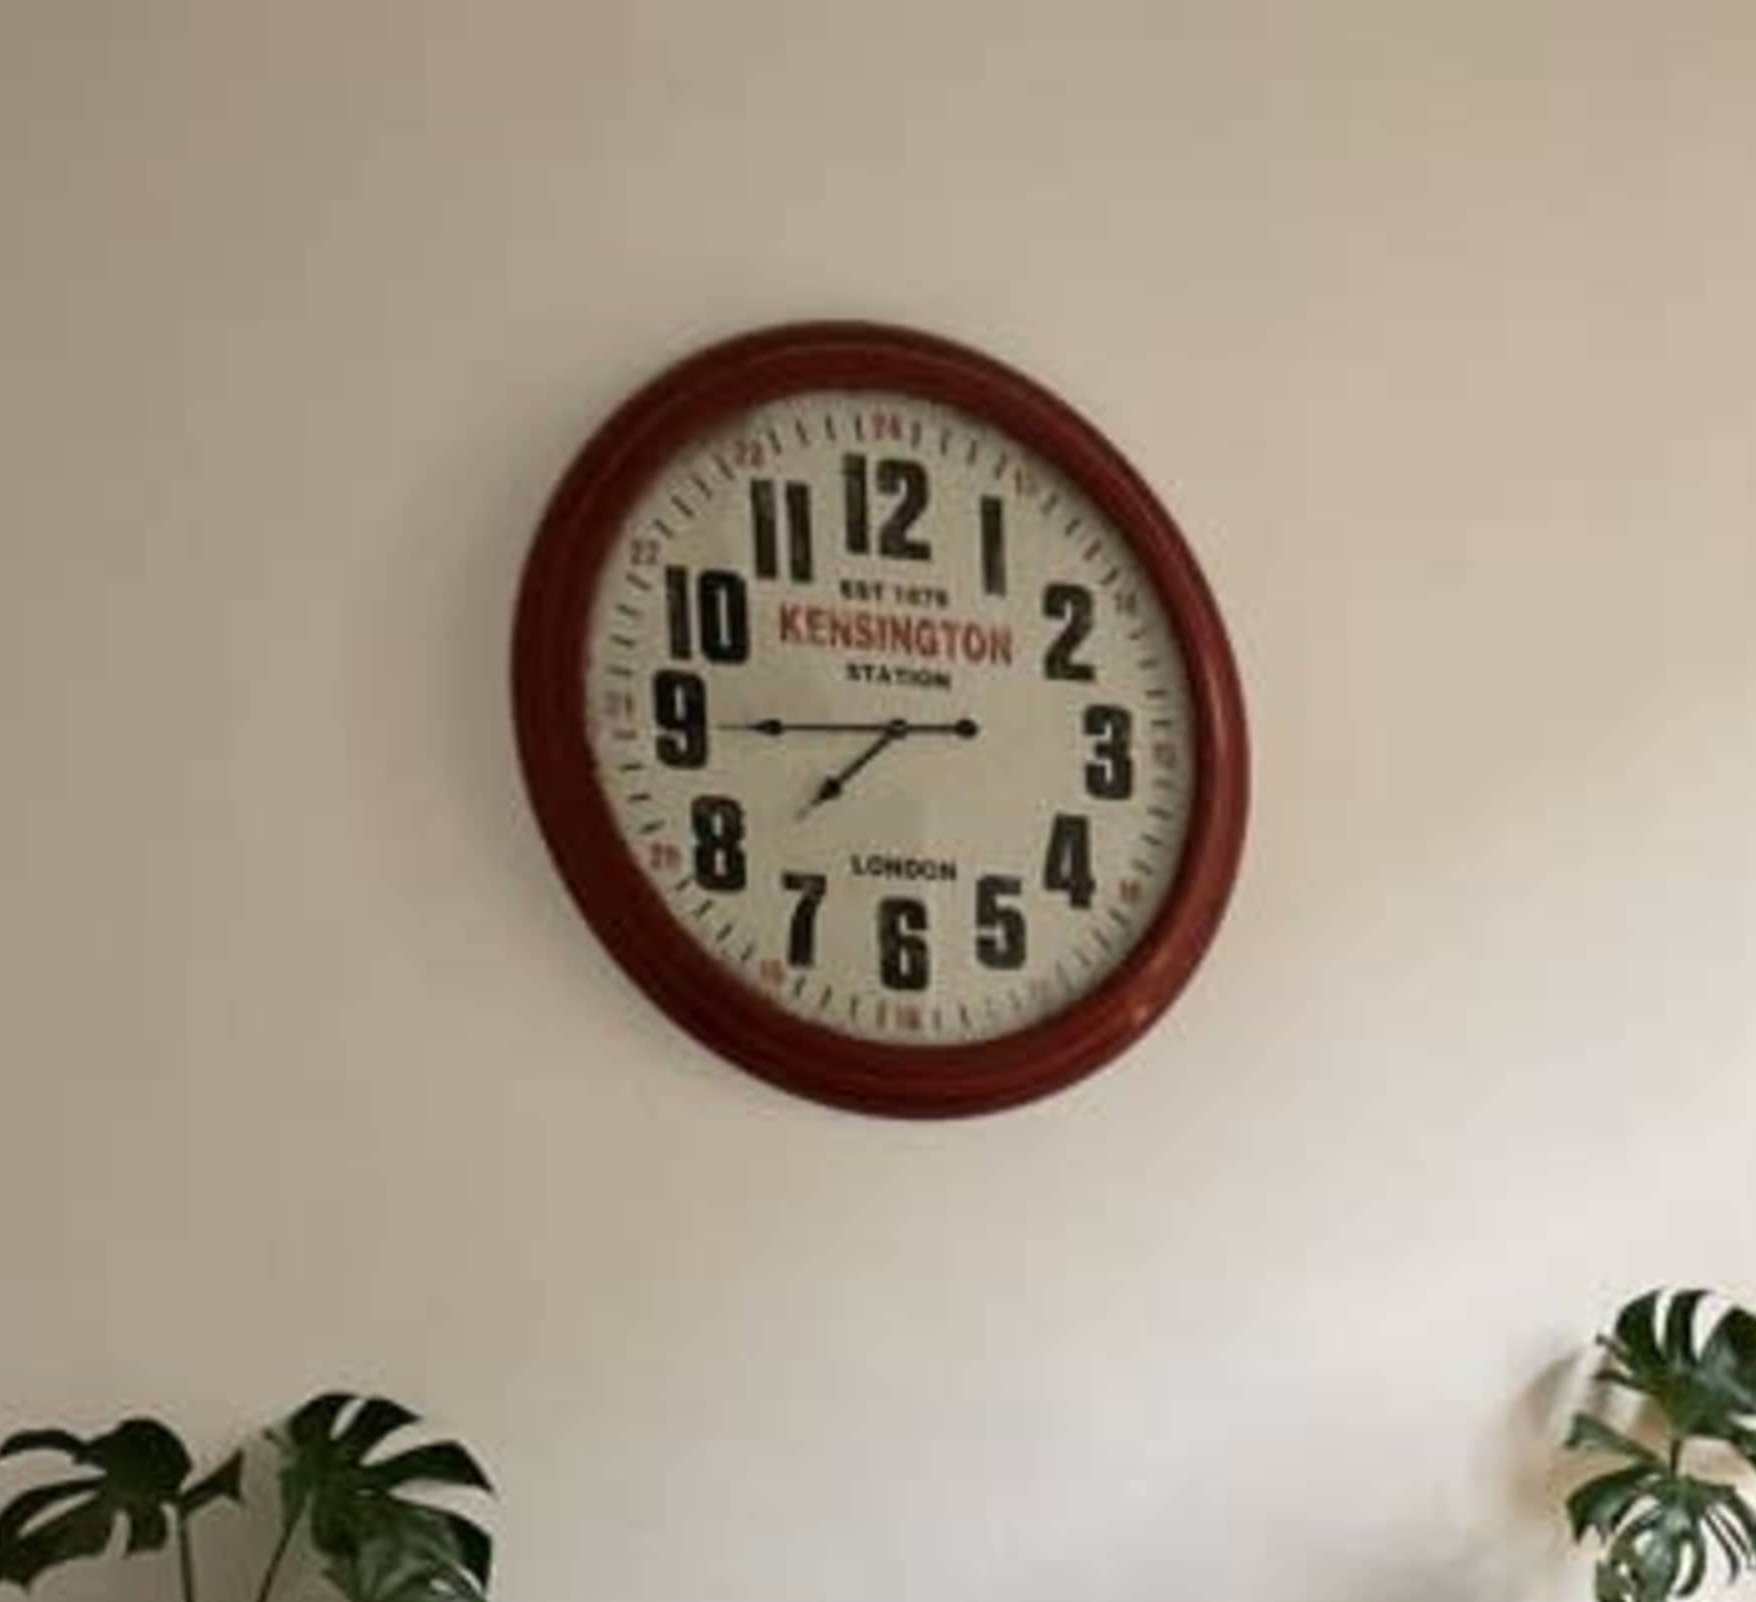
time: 7:44
